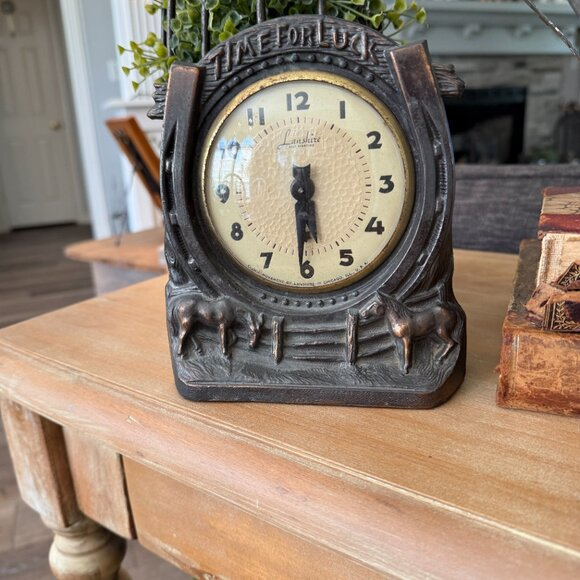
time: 5:30
